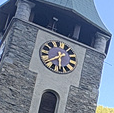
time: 7:30
